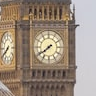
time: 7:39
